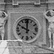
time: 10:00
